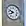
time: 7:48
